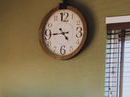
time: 4:44
